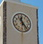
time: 11:23
